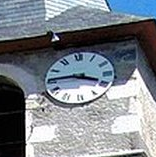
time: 3:45
